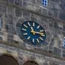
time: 11:13
